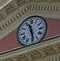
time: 11:28
